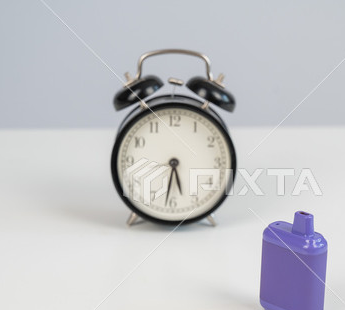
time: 5:31
